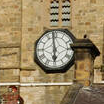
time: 5:58
